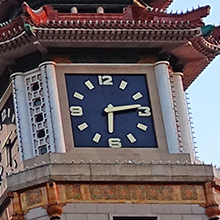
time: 6:13
